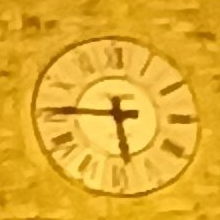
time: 5:45
